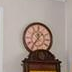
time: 11:35
